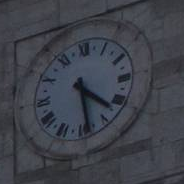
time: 4:29
